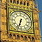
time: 6:33
